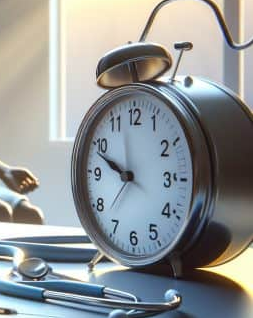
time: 9:48
